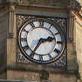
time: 2:35
